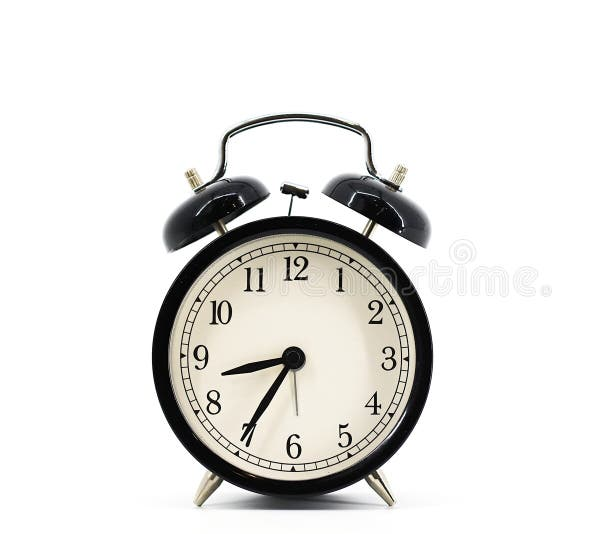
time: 8:35
